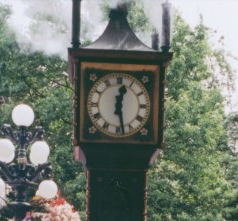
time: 12:28
